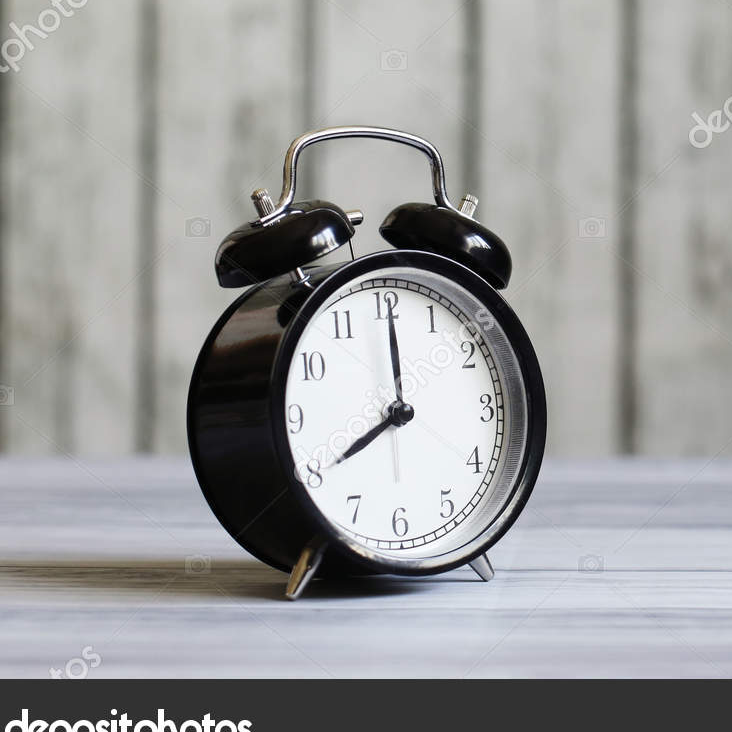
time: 8:00
